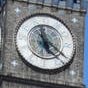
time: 11:21
